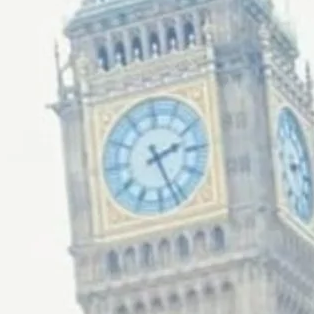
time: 2:26
